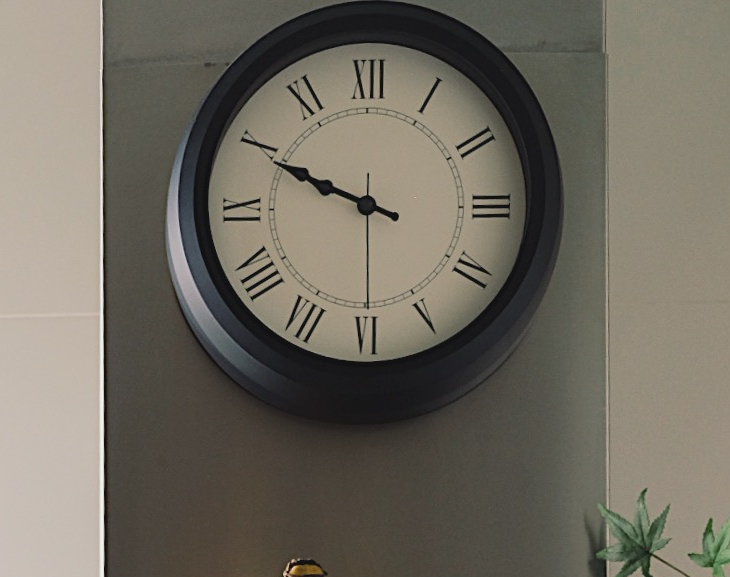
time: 9:49
